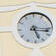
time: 5:16
